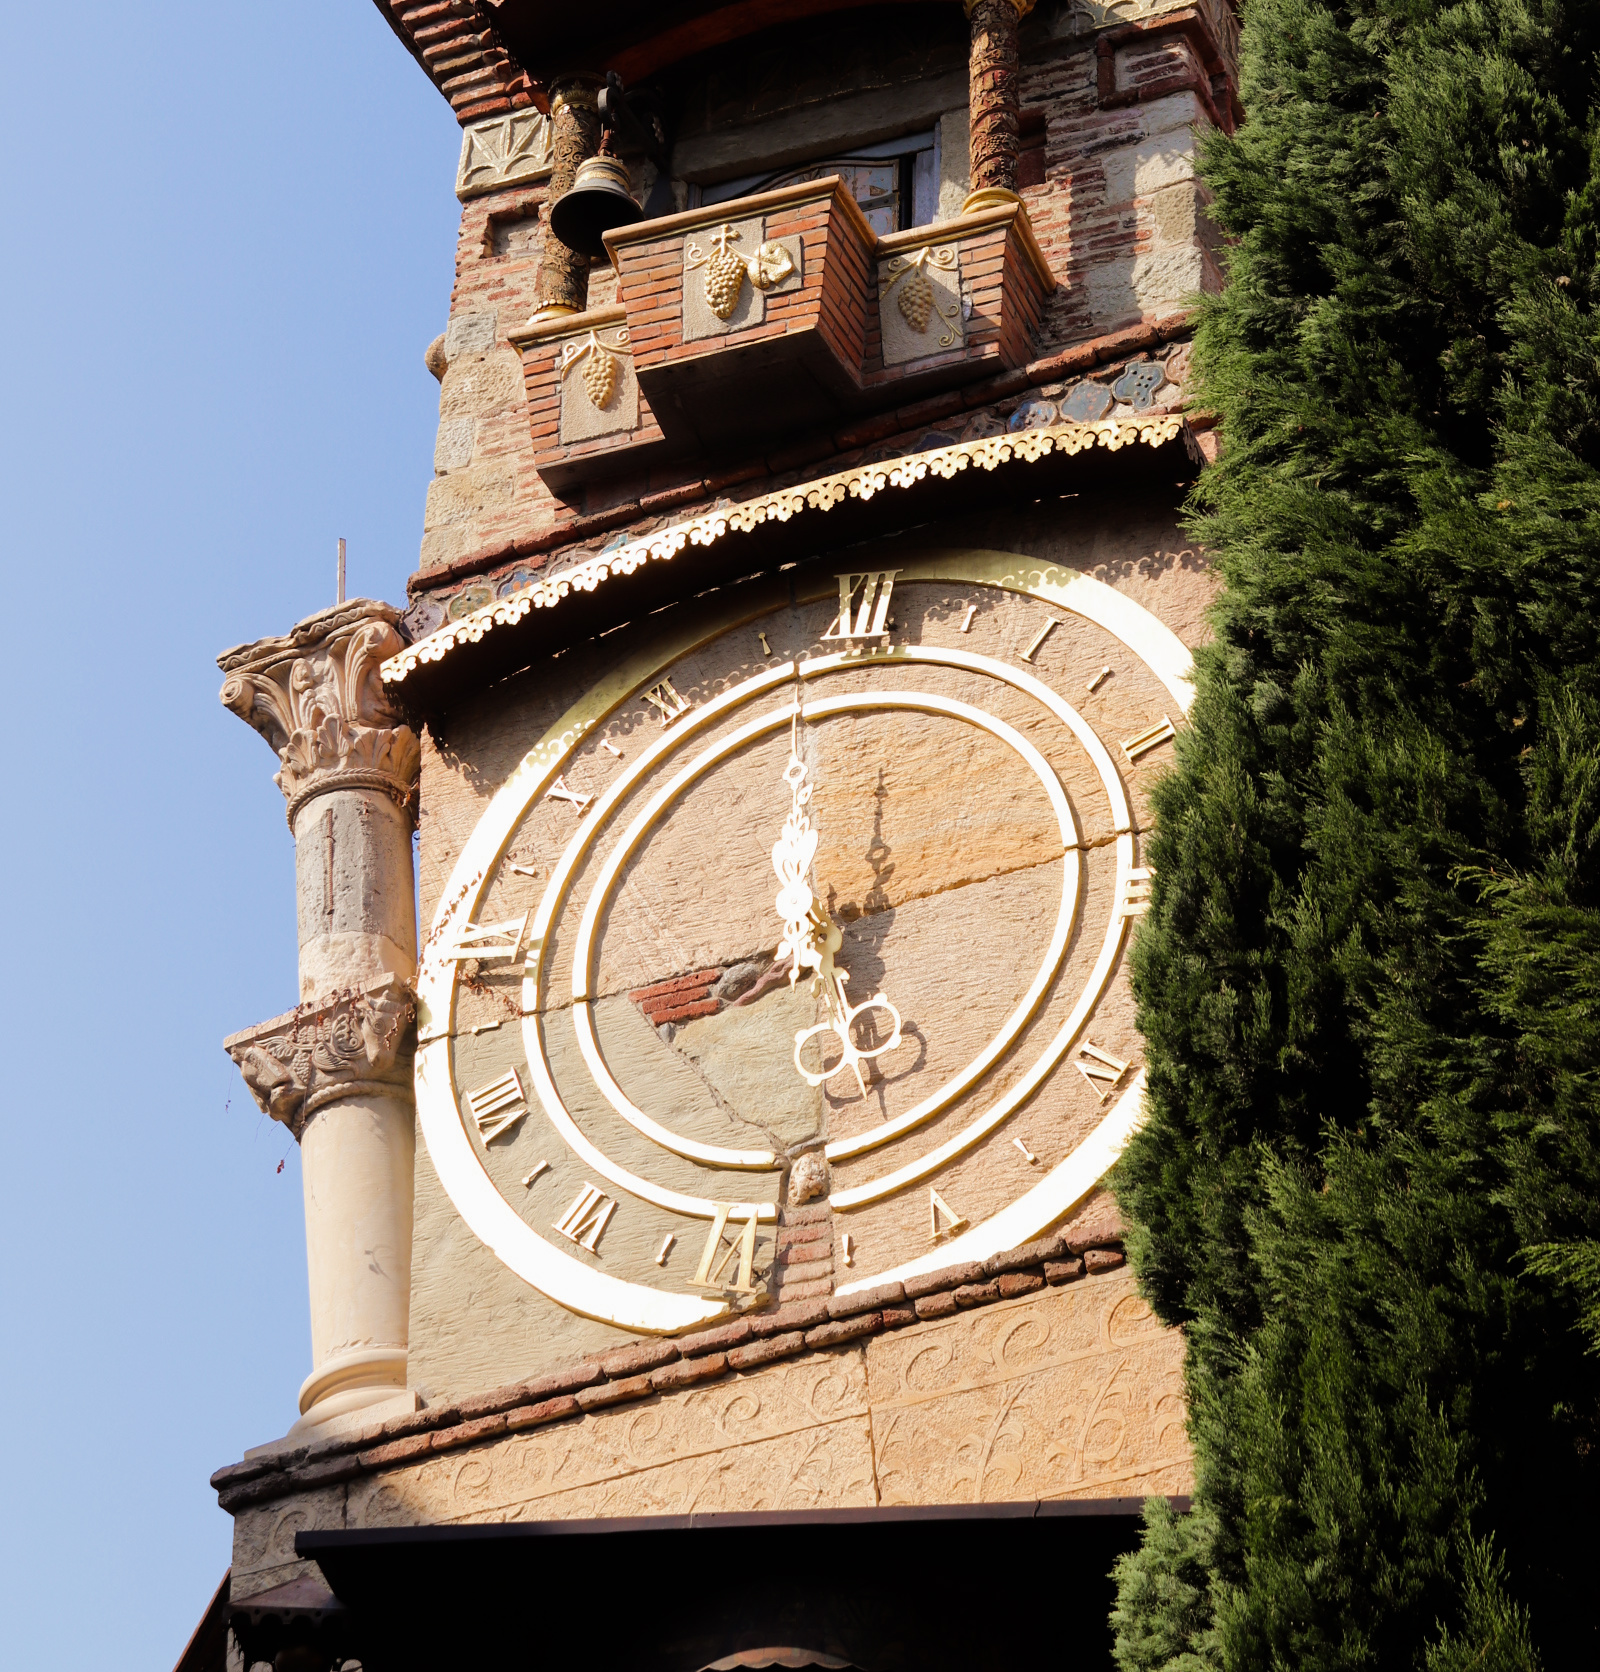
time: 8:27
